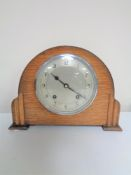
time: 10:21
